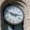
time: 2:48
